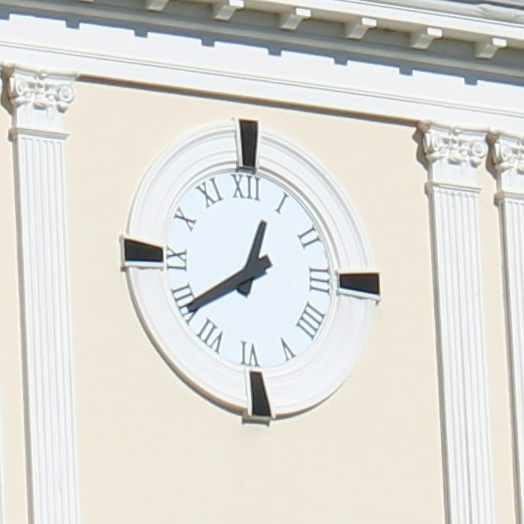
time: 12:38
